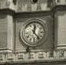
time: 12:23
